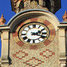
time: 2:18
